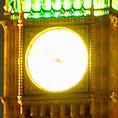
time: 9:49
